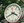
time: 3:40
